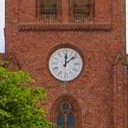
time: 12:07
